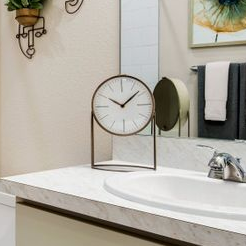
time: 10:07
